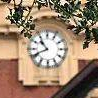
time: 10:41
